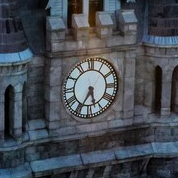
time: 5:34
